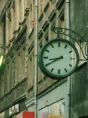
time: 8:40
